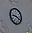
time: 9:20
